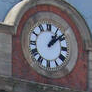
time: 1:08
